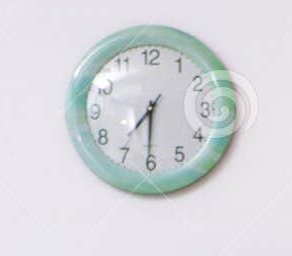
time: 7:30
